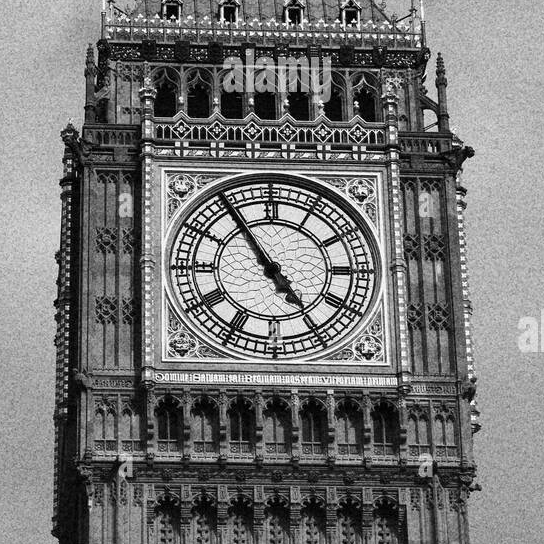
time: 4:54
